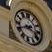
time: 3:40
